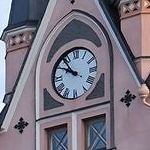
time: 9:53
